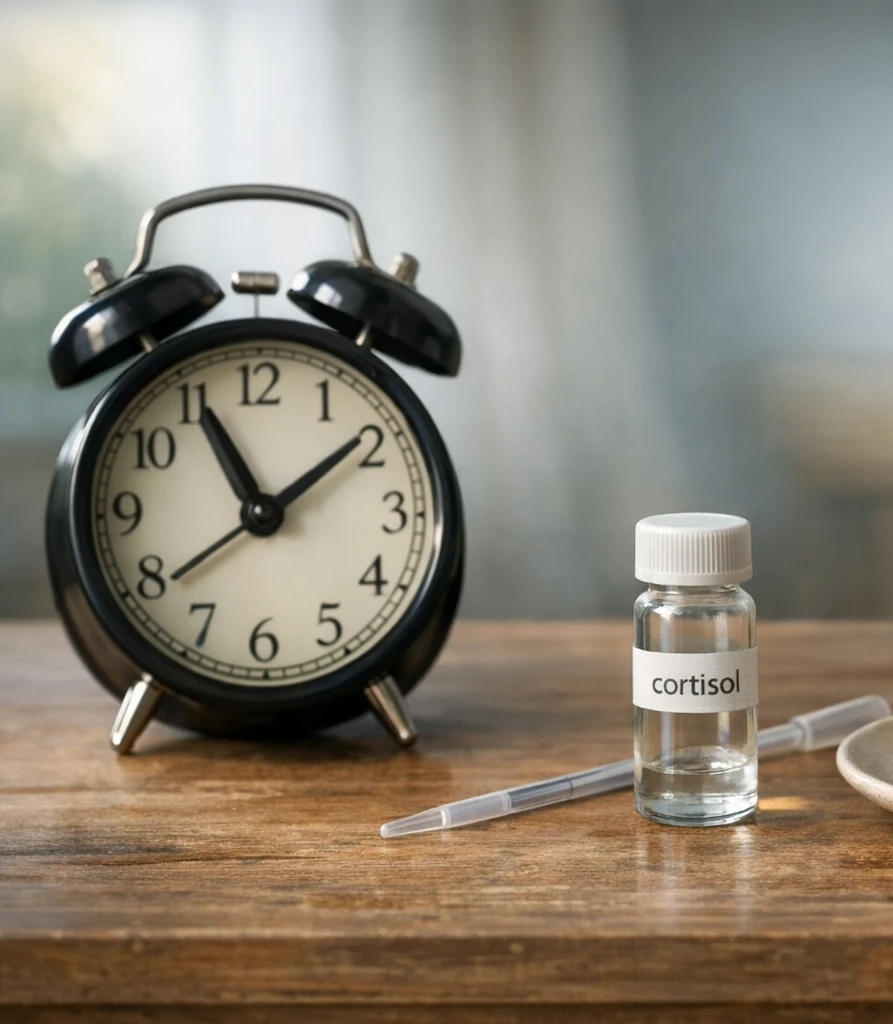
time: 11:09
